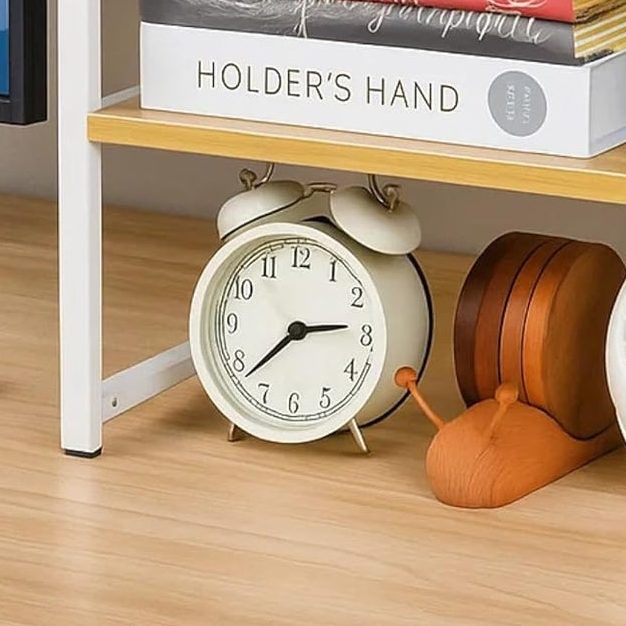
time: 2:38
